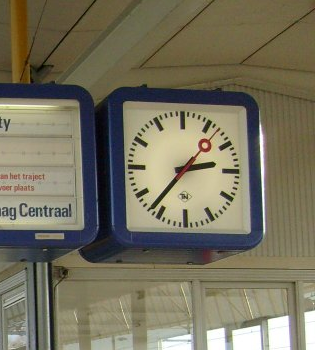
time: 2:37
